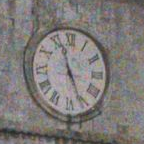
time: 11:25
